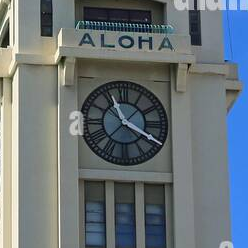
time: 3:55
